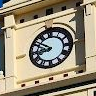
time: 8:50
